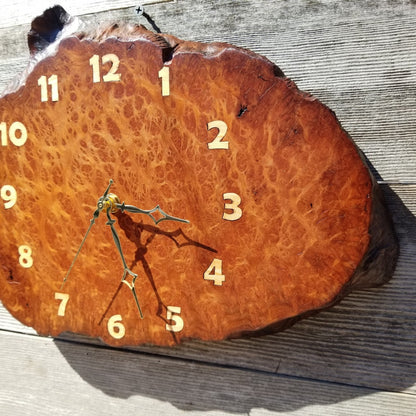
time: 5:18
